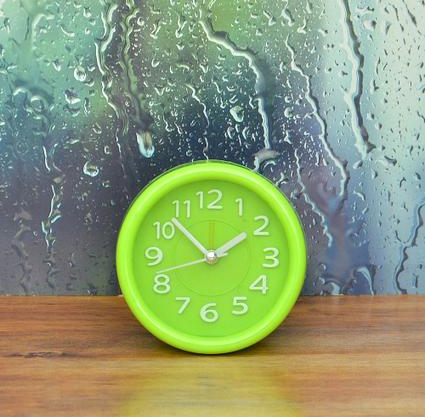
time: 1:52
